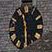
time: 11:29
